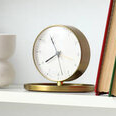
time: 7:54
